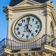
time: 5:00
